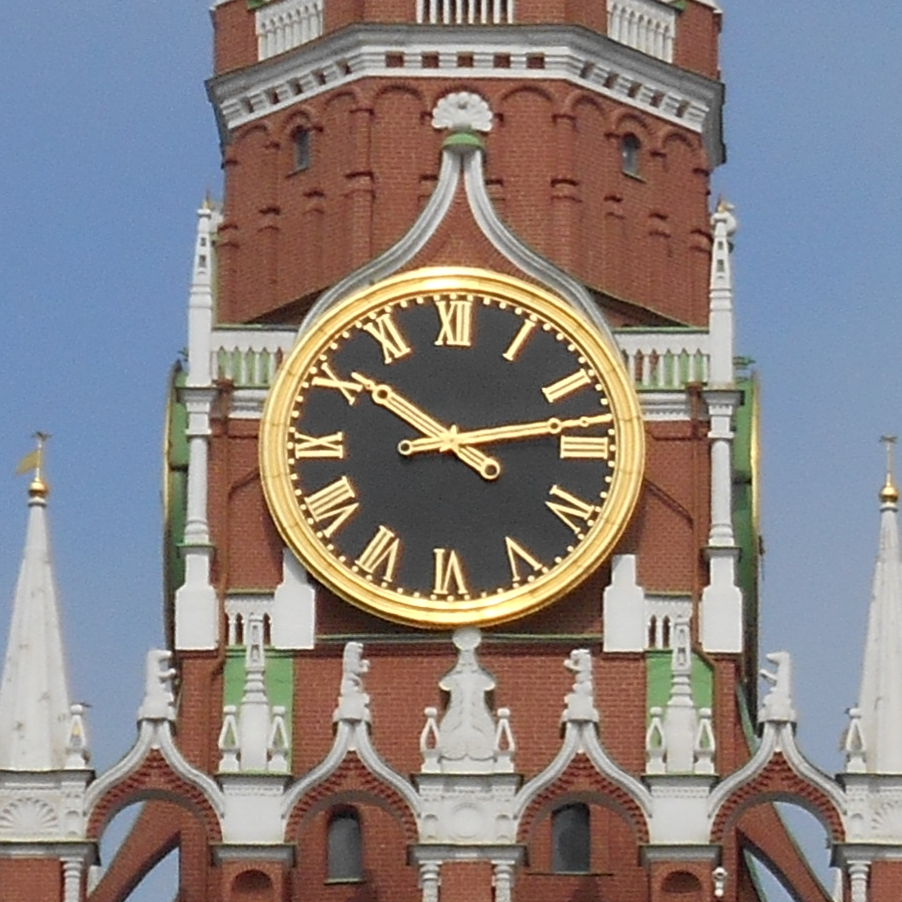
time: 10:13
